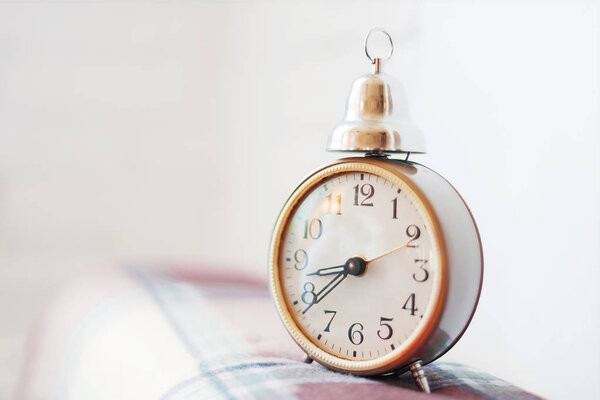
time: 8:38
